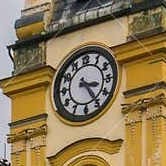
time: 3:24
